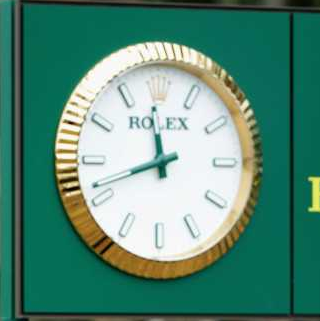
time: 11:41
